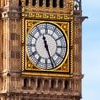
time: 11:26
